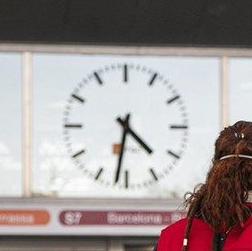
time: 4:31
